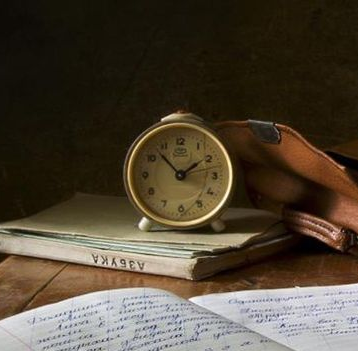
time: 1:52
